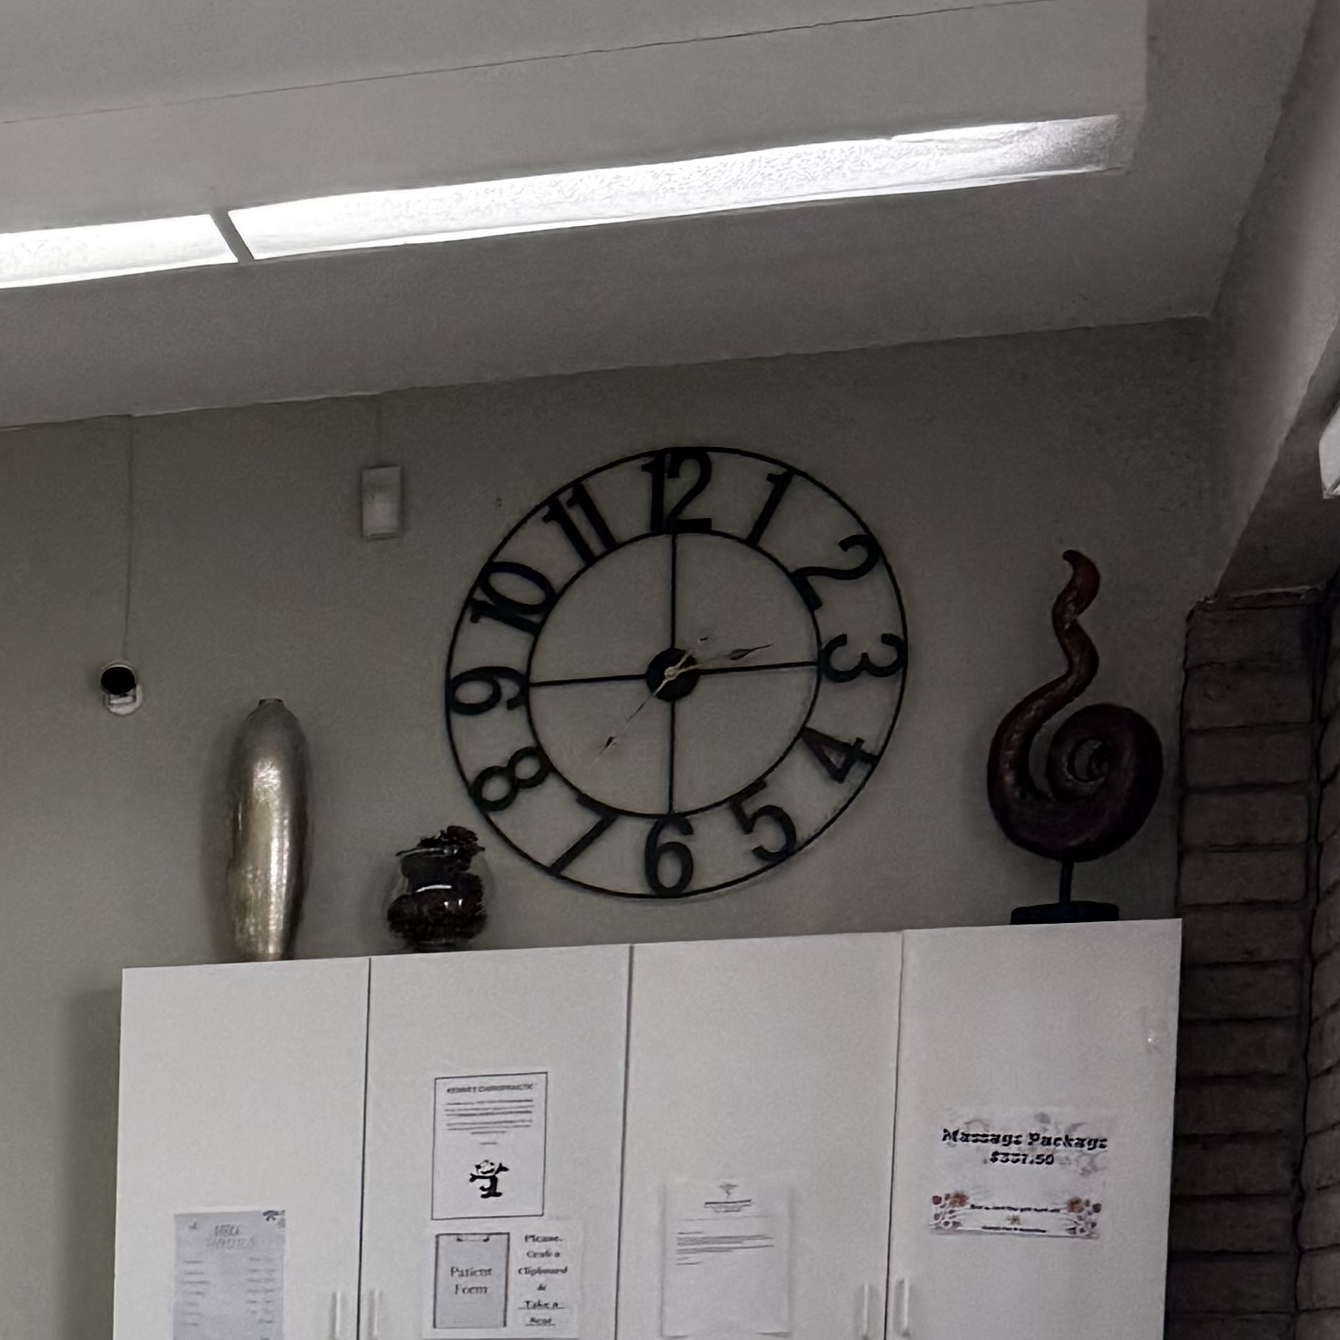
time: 3:00
